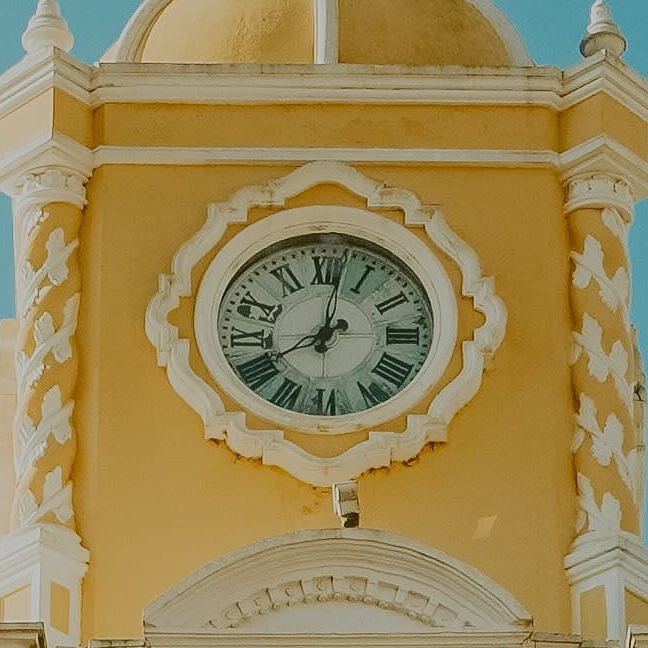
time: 8:02
